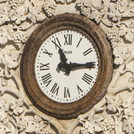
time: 11:14
